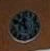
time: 11:49
